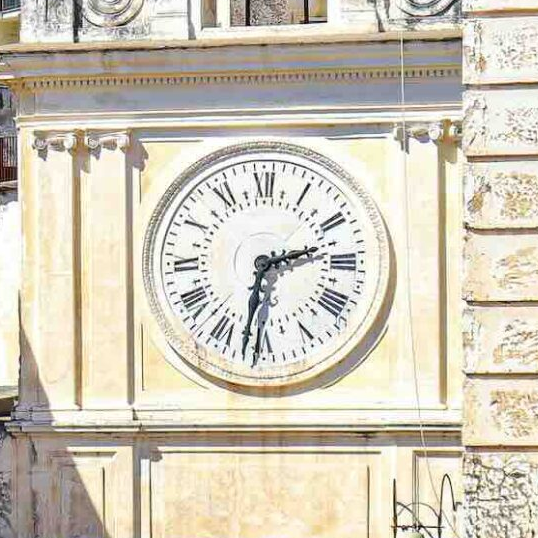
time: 2:31
